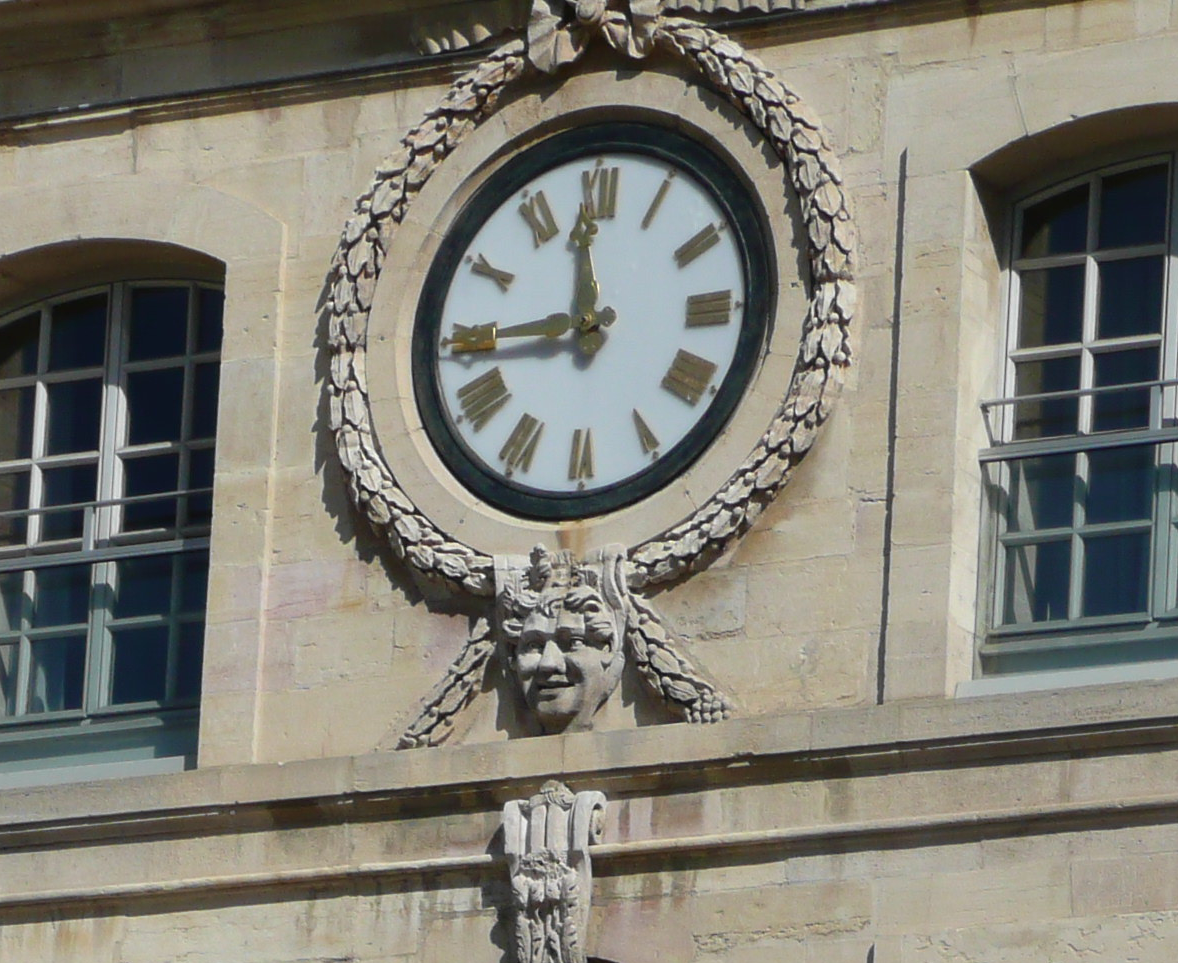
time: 11:44
